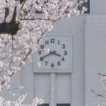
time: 3:40
